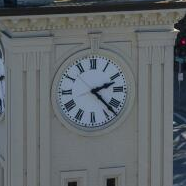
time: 2:22
